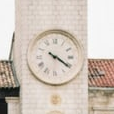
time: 4:20
